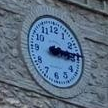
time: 3:14
